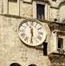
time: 11:30
